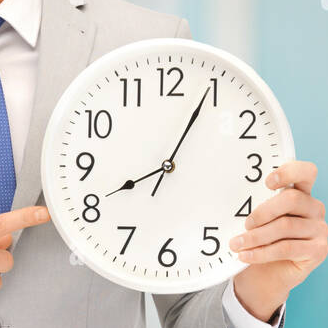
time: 8:04
